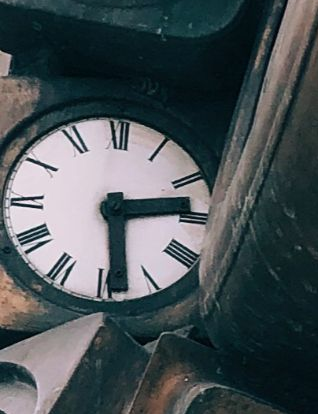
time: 2:29
